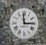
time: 2:59
